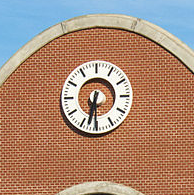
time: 6:30
